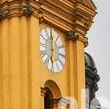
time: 5:59
